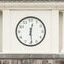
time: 12:29
